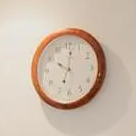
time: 10:01
